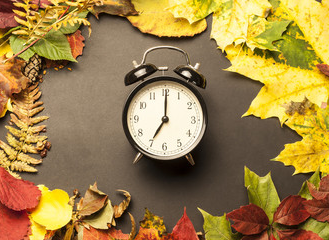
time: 7:00
